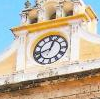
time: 12:42
